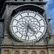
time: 4:31
